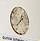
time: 1:37
